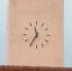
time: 11:35
